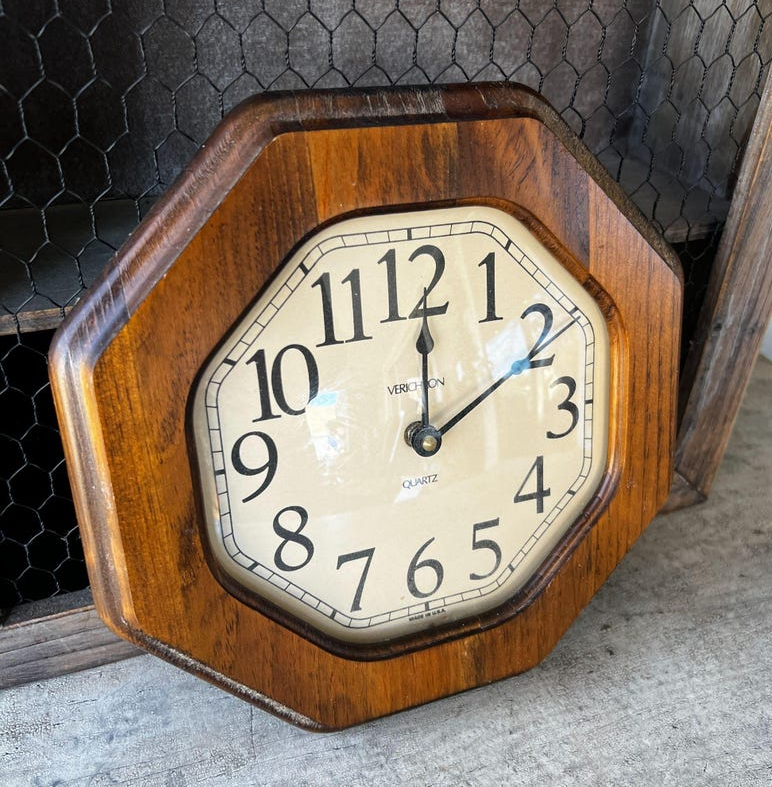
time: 12:09
